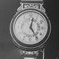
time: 12:24
